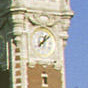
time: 1:08
